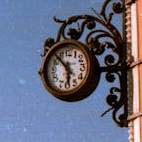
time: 5:52
